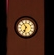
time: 6:54
